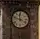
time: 11:48
